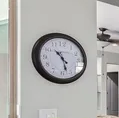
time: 10:27
